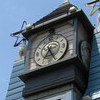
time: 7:25
